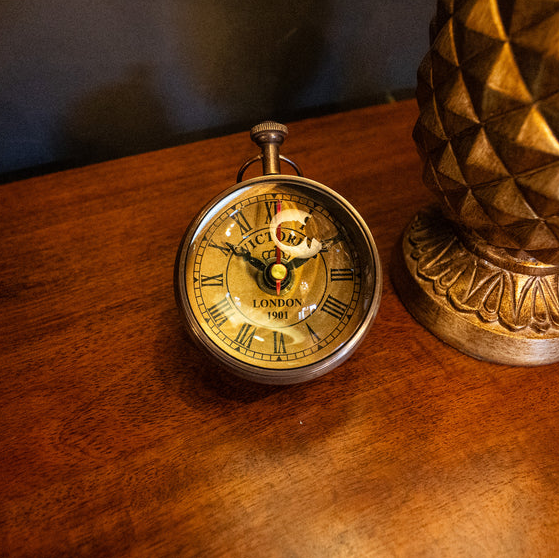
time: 1:50
